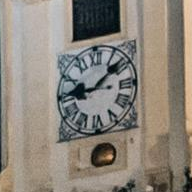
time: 9:08
